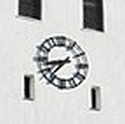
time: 8:37
